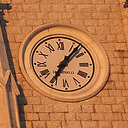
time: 7:07
